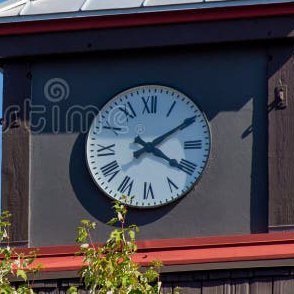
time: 4:09
